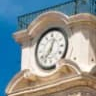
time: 12:36
